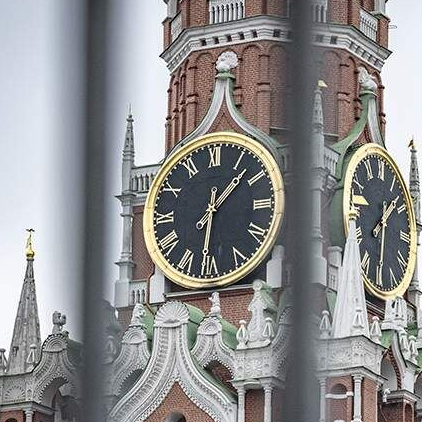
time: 1:31
